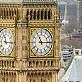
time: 11:14
